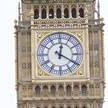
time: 12:20
